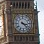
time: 3:22
